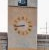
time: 8:43
